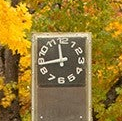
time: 11:43
